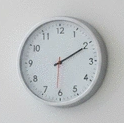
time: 2:10
